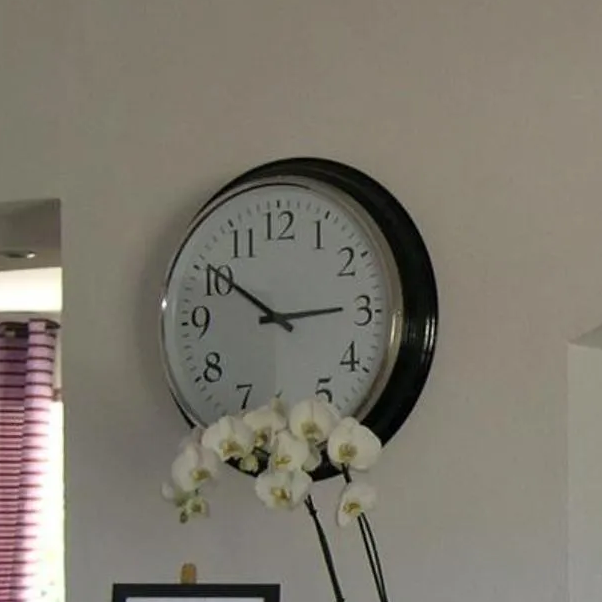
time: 2:50
